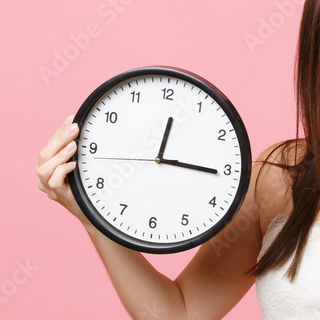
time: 12:15
